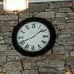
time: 1:41
